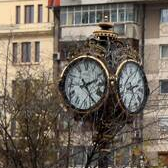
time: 2:24
